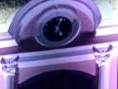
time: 5:02
